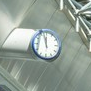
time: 11:57
